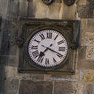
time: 7:18
